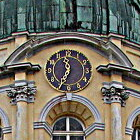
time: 11:34
